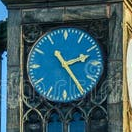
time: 2:24
